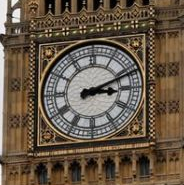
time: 3:11
